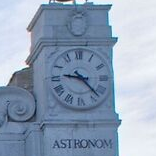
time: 9:22
